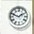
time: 1:48
